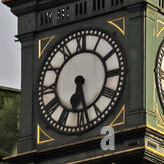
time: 6:28
